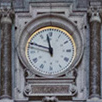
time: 11:48
